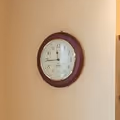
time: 11:44
